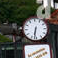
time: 6:32
